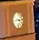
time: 9:12
